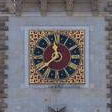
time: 11:38
